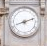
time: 8:11
